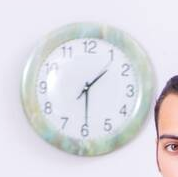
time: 1:29
